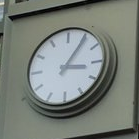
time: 3:05
